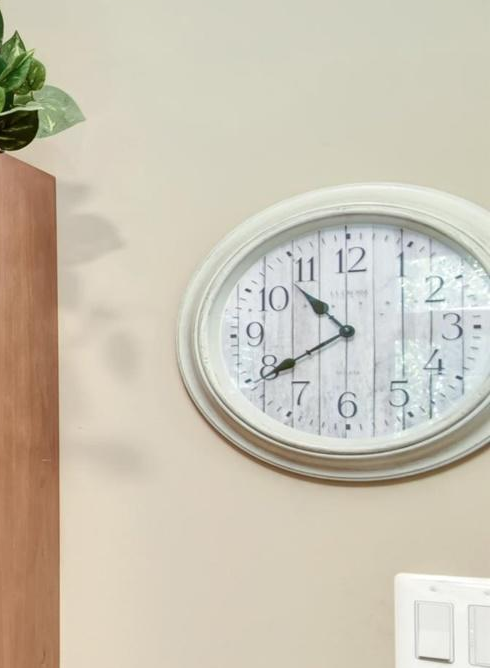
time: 10:39
